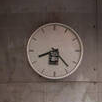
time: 8:23
